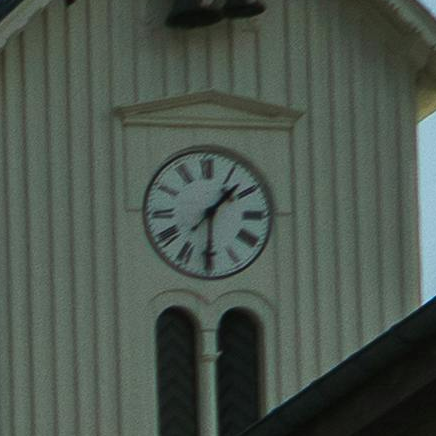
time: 1:30
